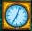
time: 7:03
